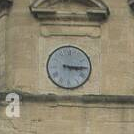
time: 3:14
